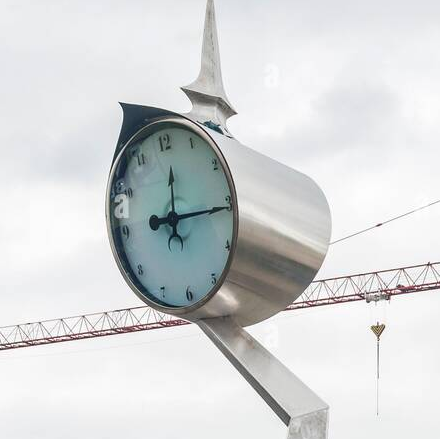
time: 12:14
